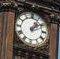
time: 1:09
